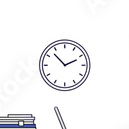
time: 1:52
